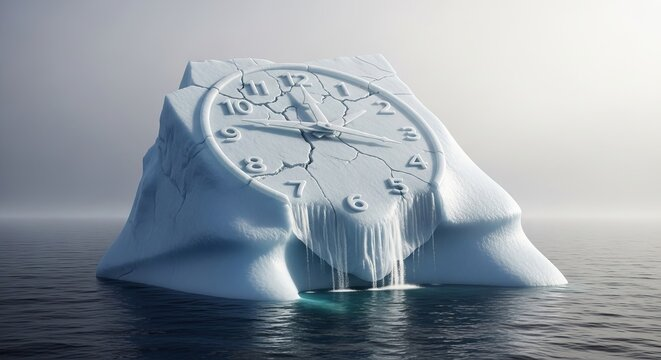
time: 11:46
